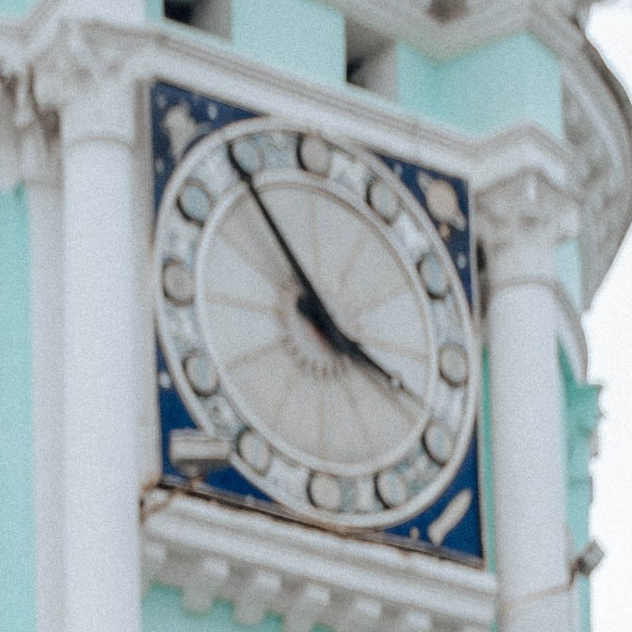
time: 3:54
